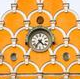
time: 4:36
